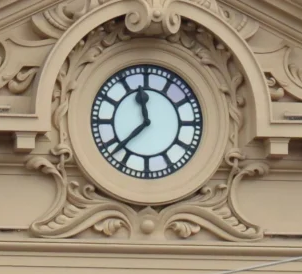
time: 11:37
